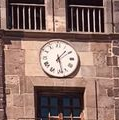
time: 1:27
